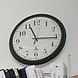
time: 11:15
